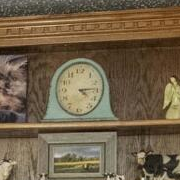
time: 4:14
